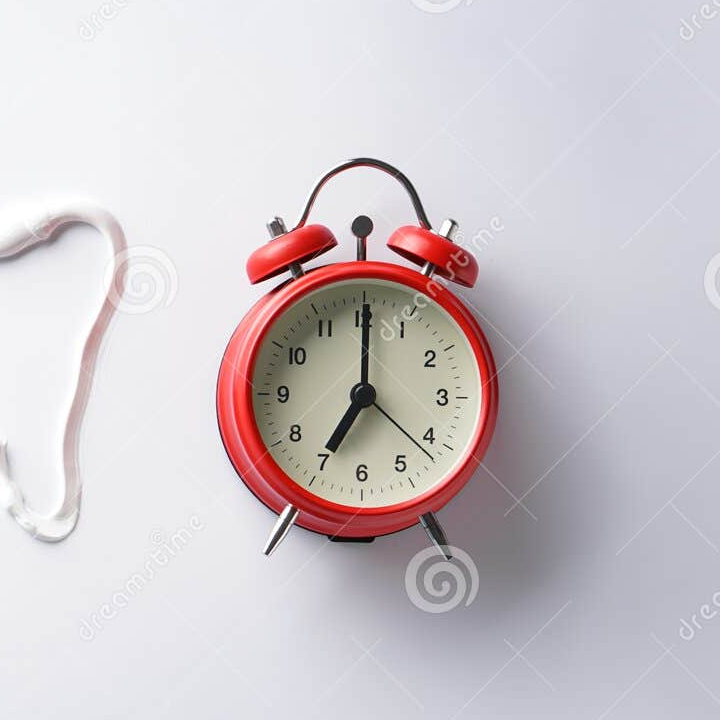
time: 7:00
